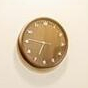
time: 6:46
